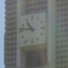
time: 10:46
